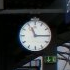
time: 11:15
